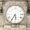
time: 5:35
